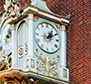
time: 1:09
